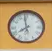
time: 7:58
